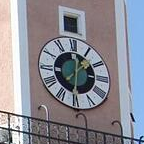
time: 12:07
